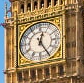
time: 12:24
